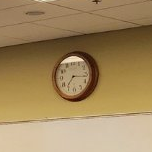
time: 7:16
